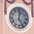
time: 12:24
